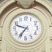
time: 9:36
